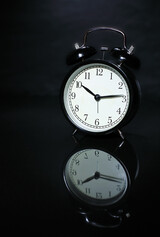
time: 10:13
